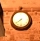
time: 7:38
